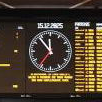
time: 11:53
